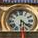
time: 6:21
